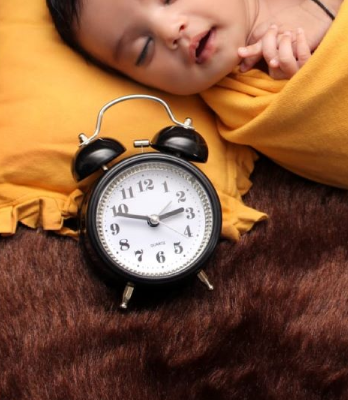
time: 2:48
